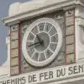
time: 10:43
